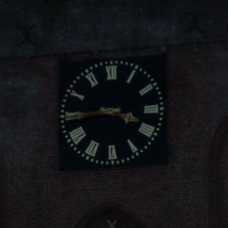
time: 3:44
